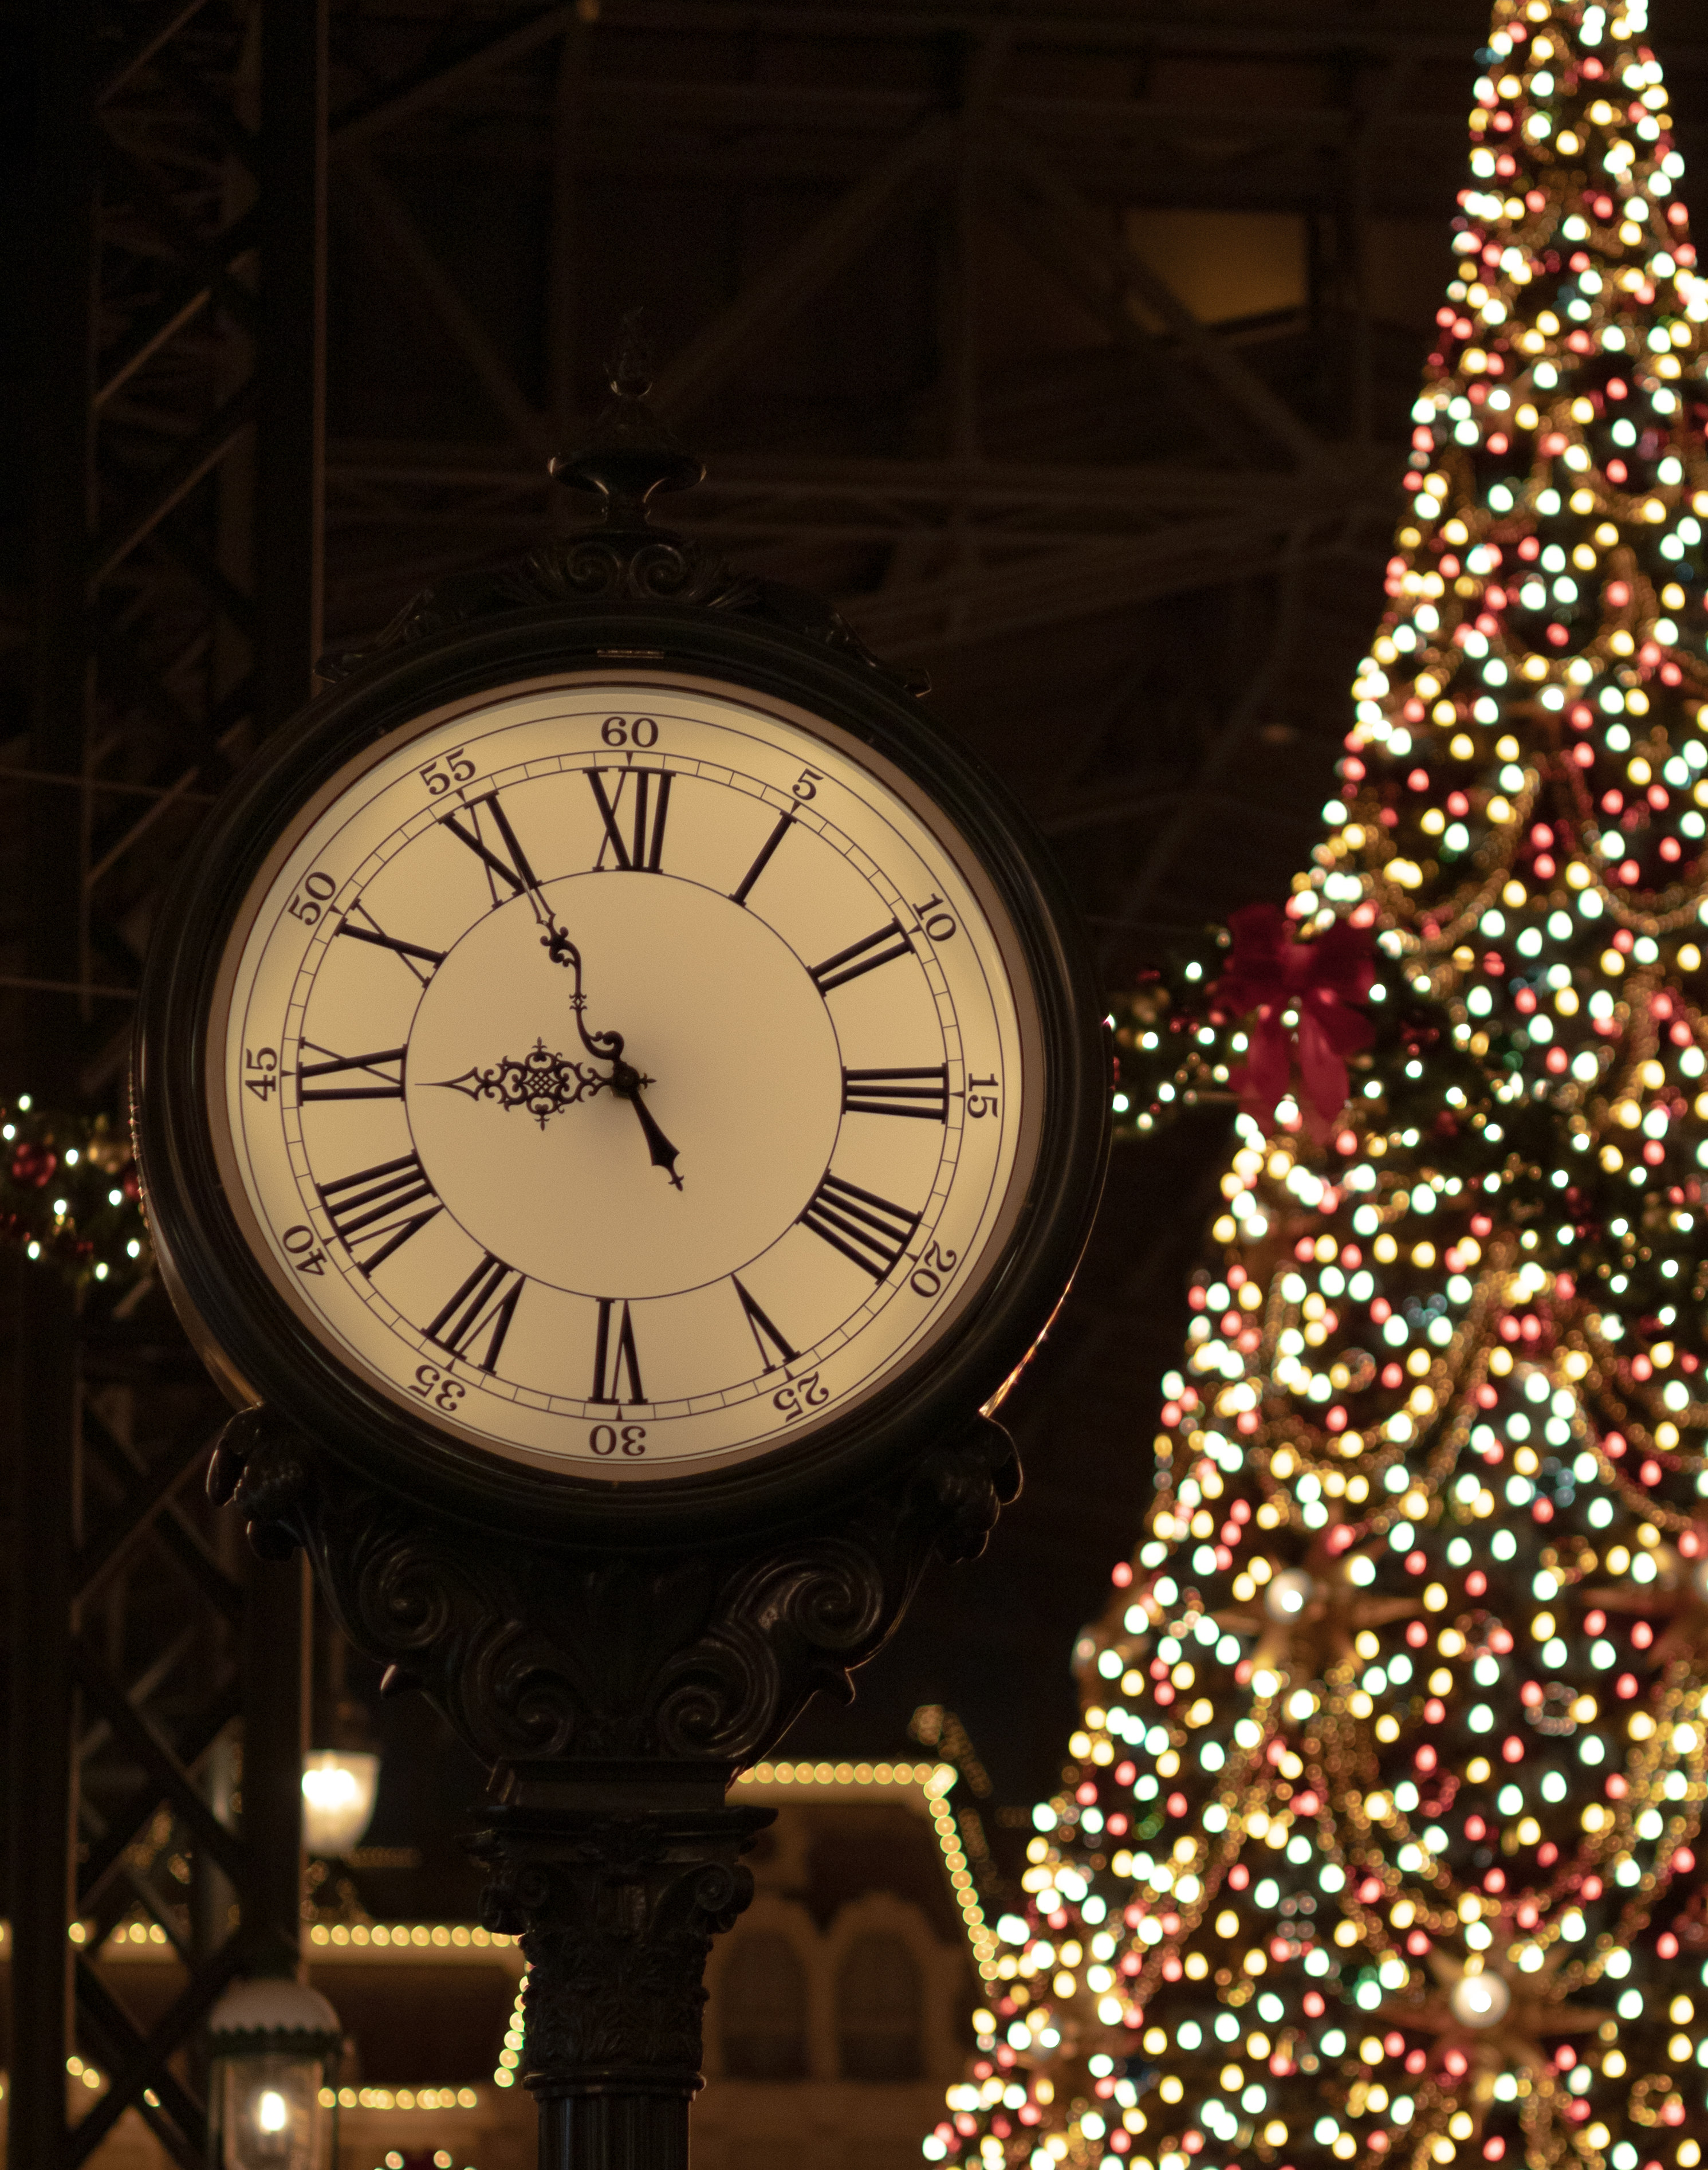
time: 8:55
